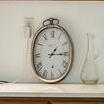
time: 1:15
